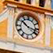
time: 10:17
